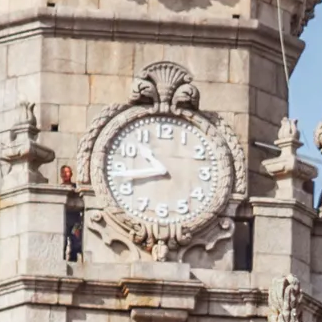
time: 10:43
